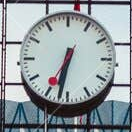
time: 6:32
